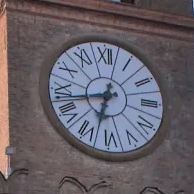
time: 6:42
